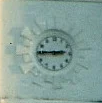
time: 2:45
